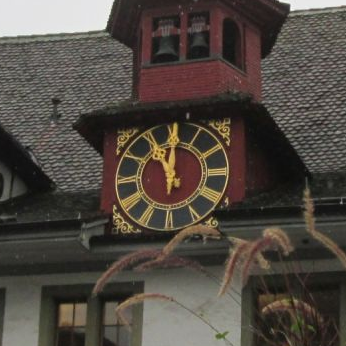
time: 11:00
